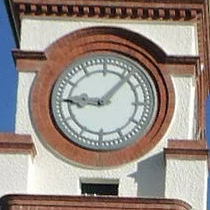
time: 9:06
